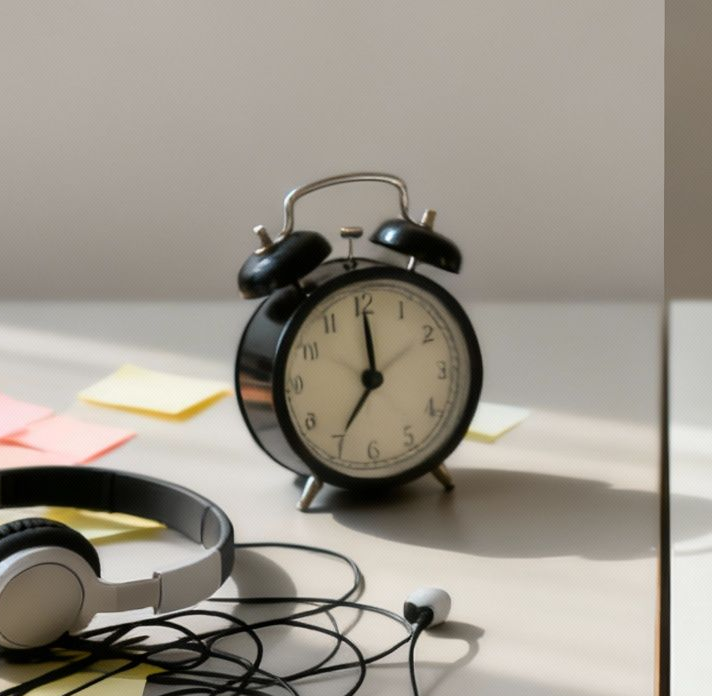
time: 7:00
